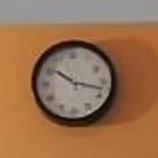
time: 10:17
